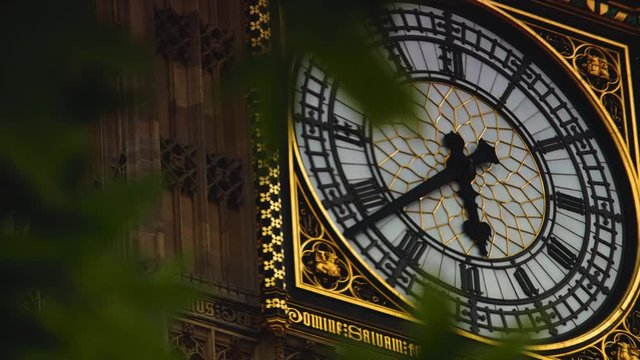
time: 5:38
